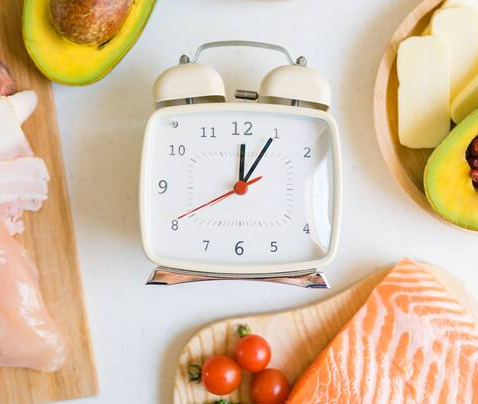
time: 12:05
